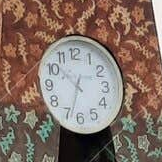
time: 10:33
